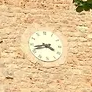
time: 3:42
